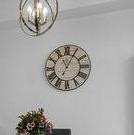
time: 11:04
